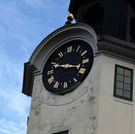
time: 3:48
